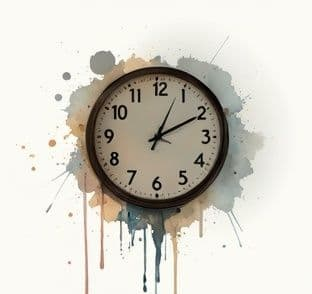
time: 2:03
